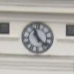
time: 11:22
